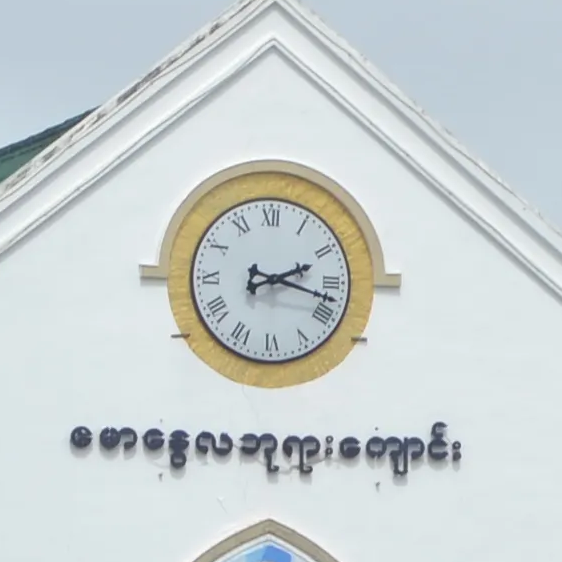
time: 2:17
